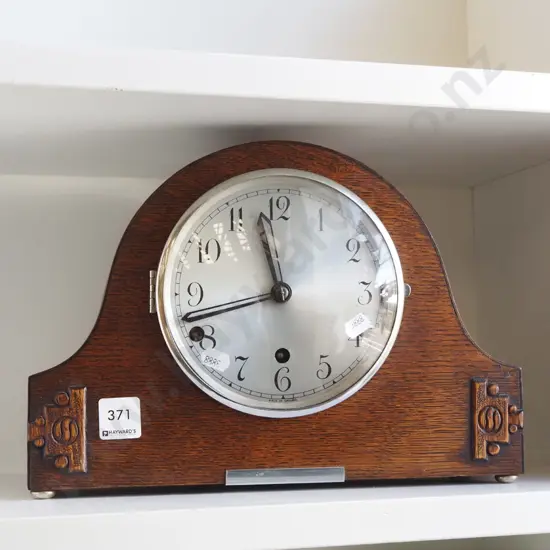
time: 11:42
